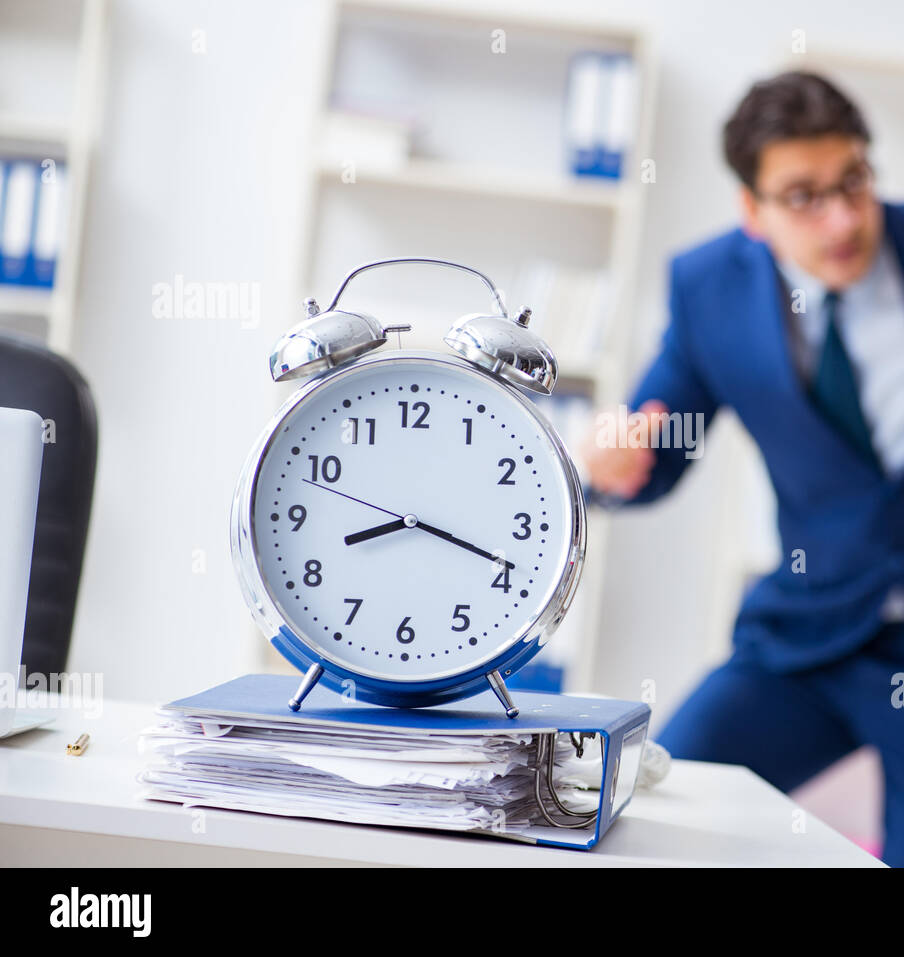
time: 8:18
